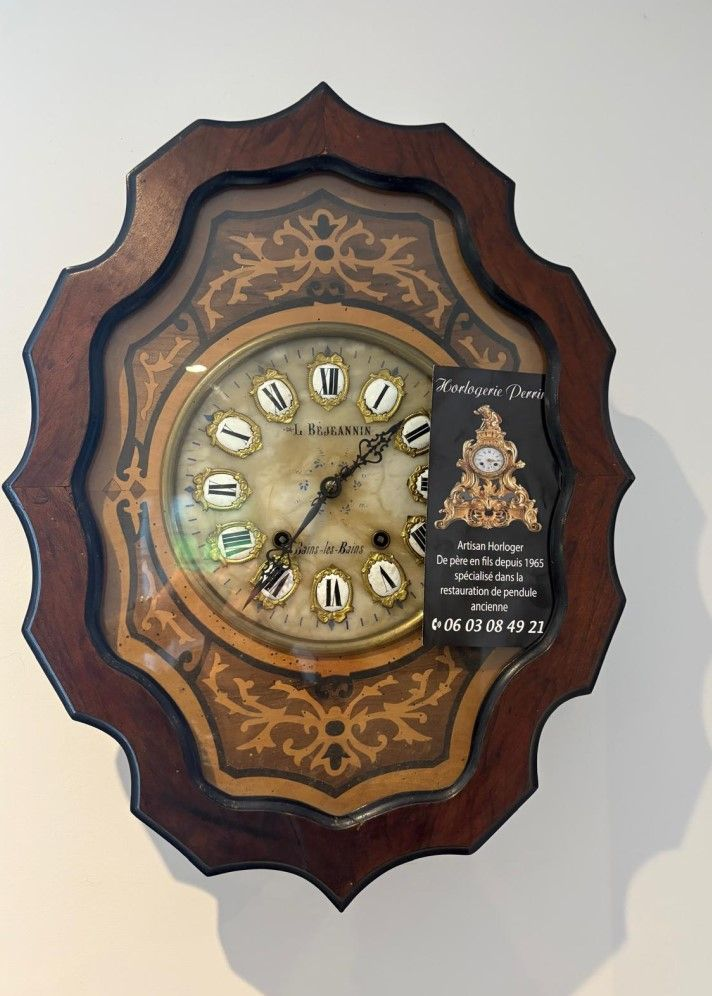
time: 7:07
